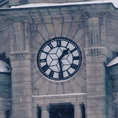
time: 1:28
